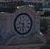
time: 9:31
